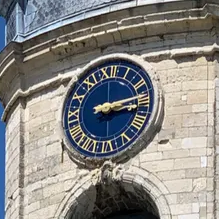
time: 3:13
